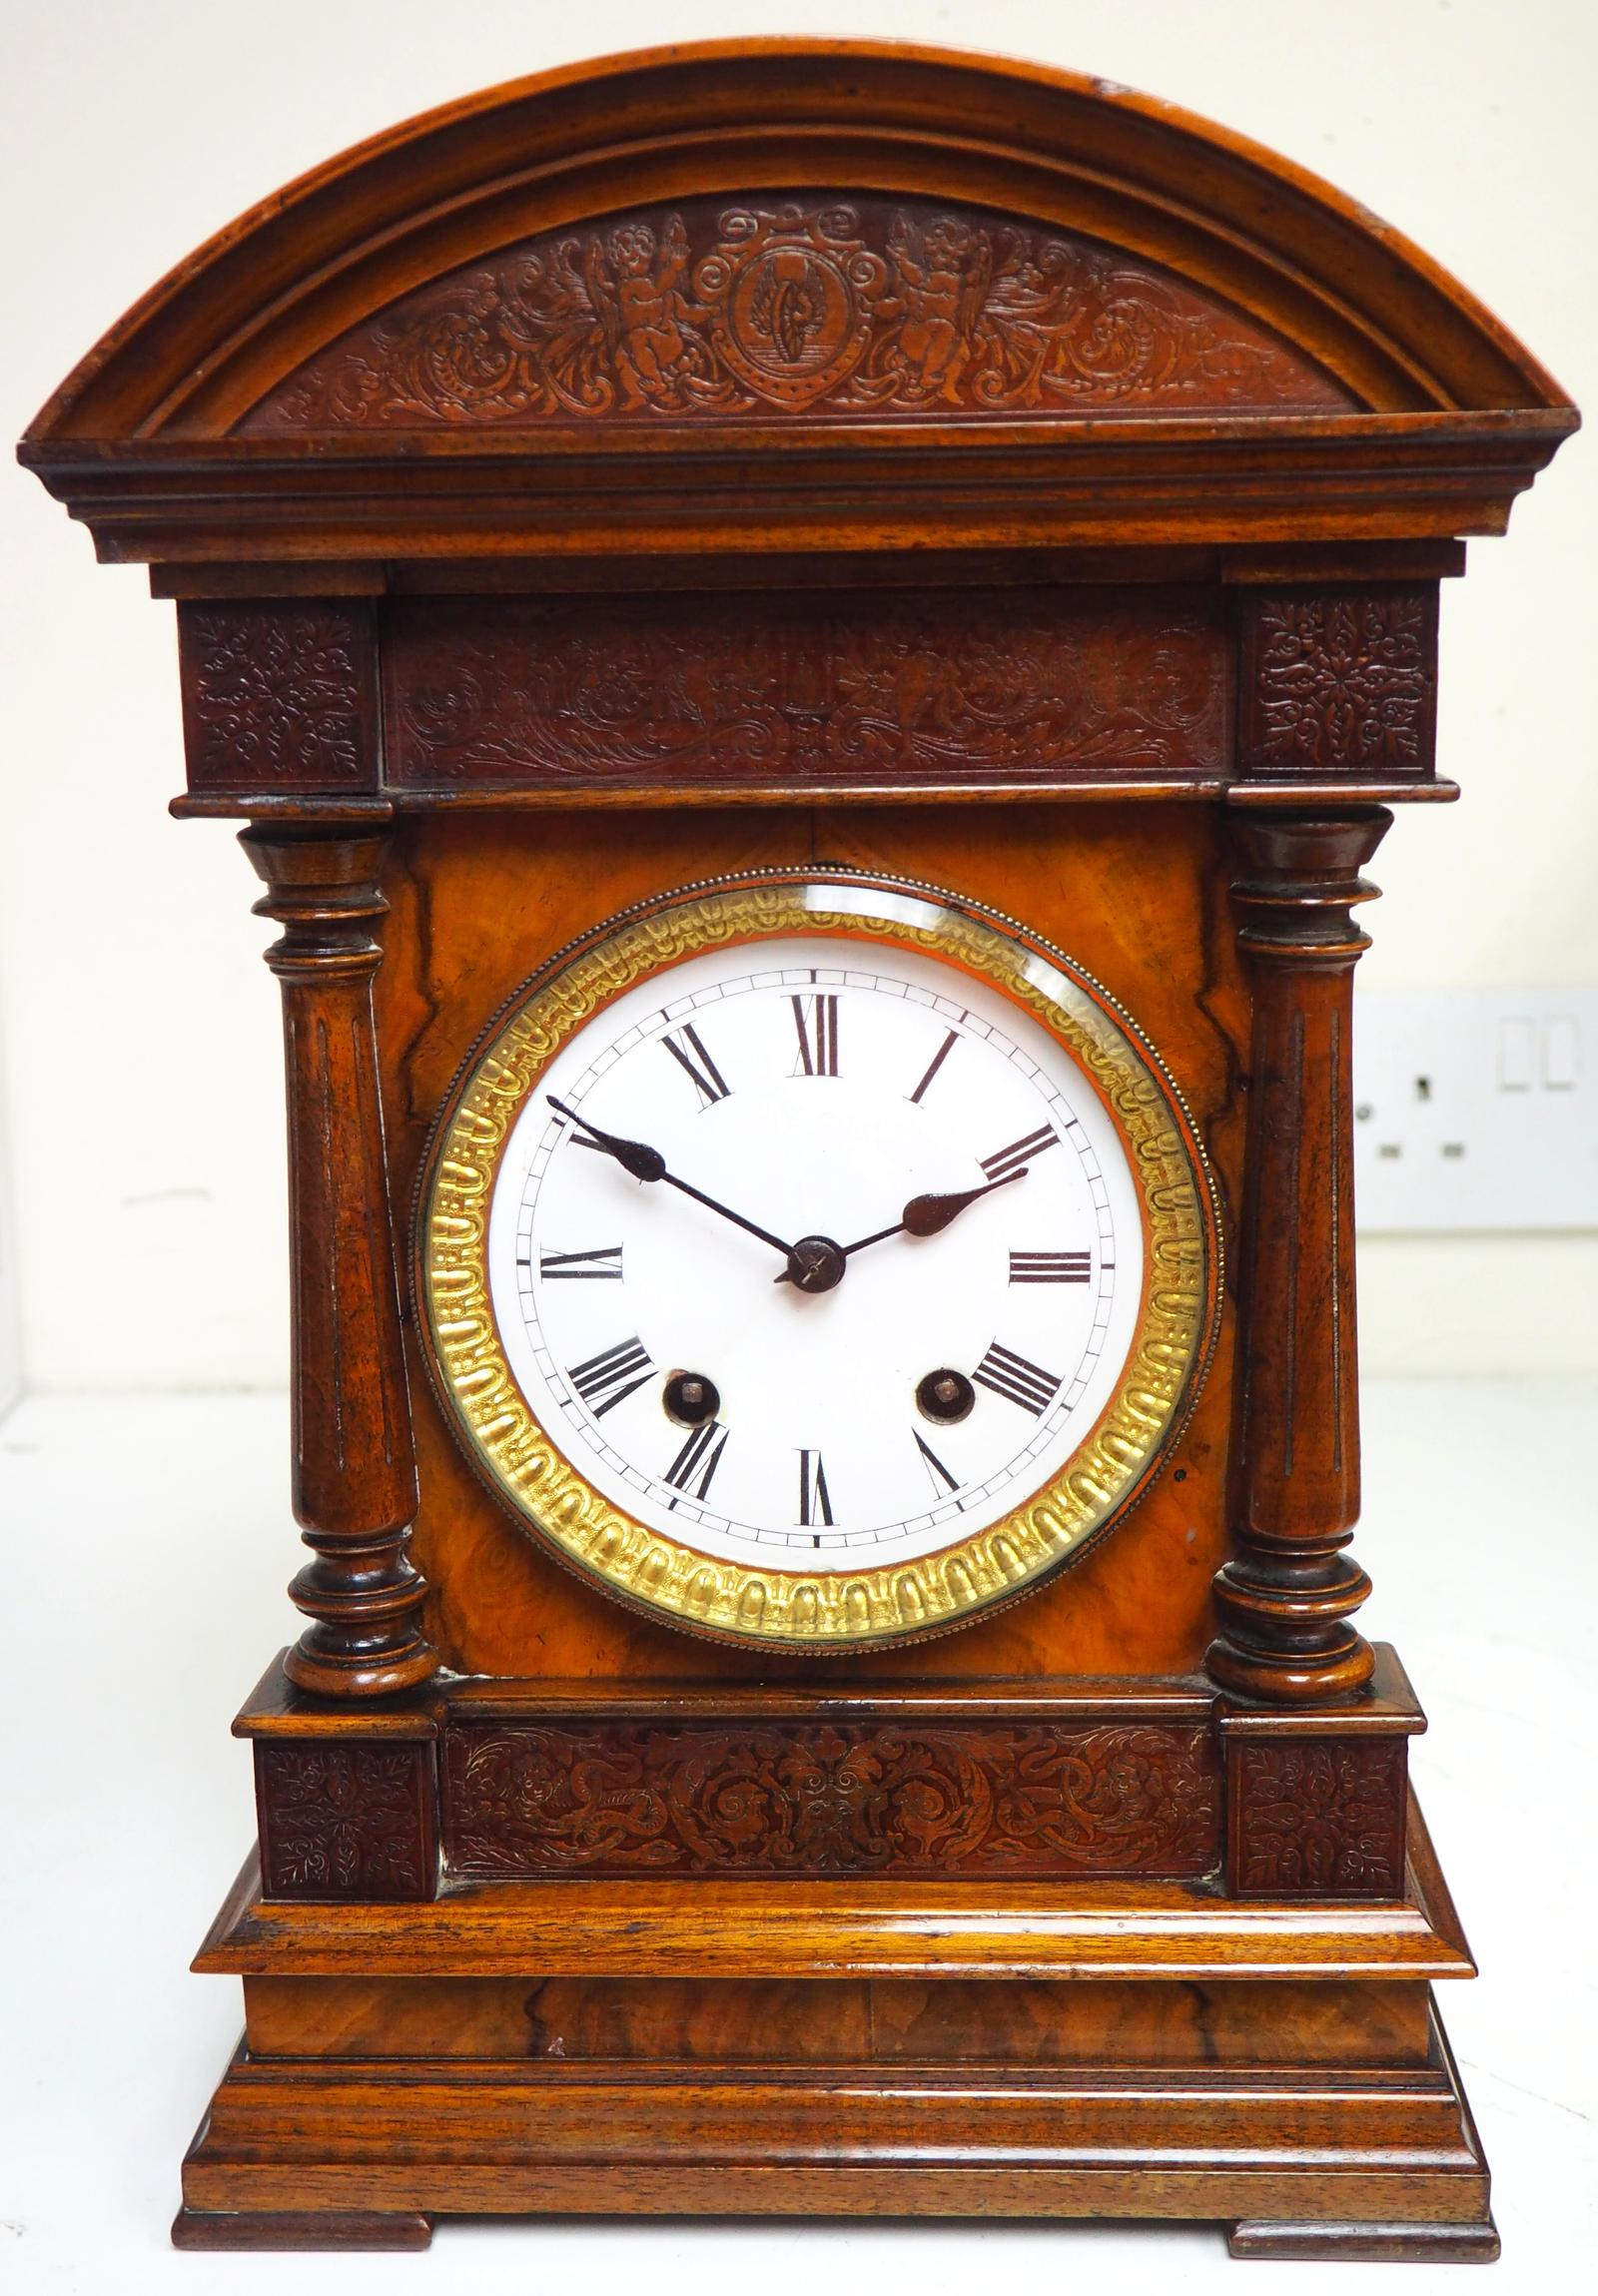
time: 1:50
